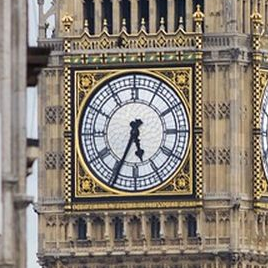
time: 5:34
